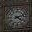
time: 4:12
